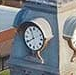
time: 7:55
